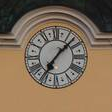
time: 7:07
